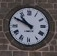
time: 10:50
